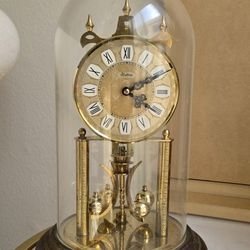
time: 4:10
